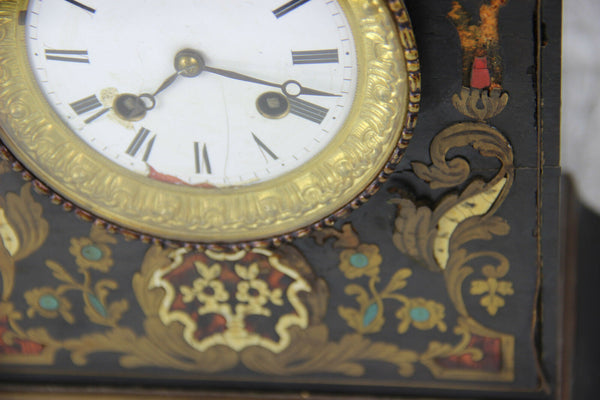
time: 7:18
